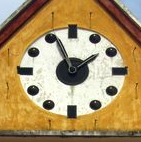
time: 1:56
